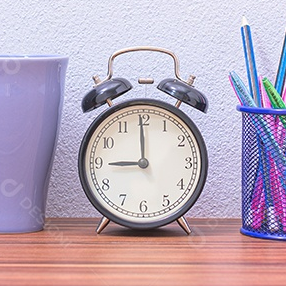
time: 8:59
